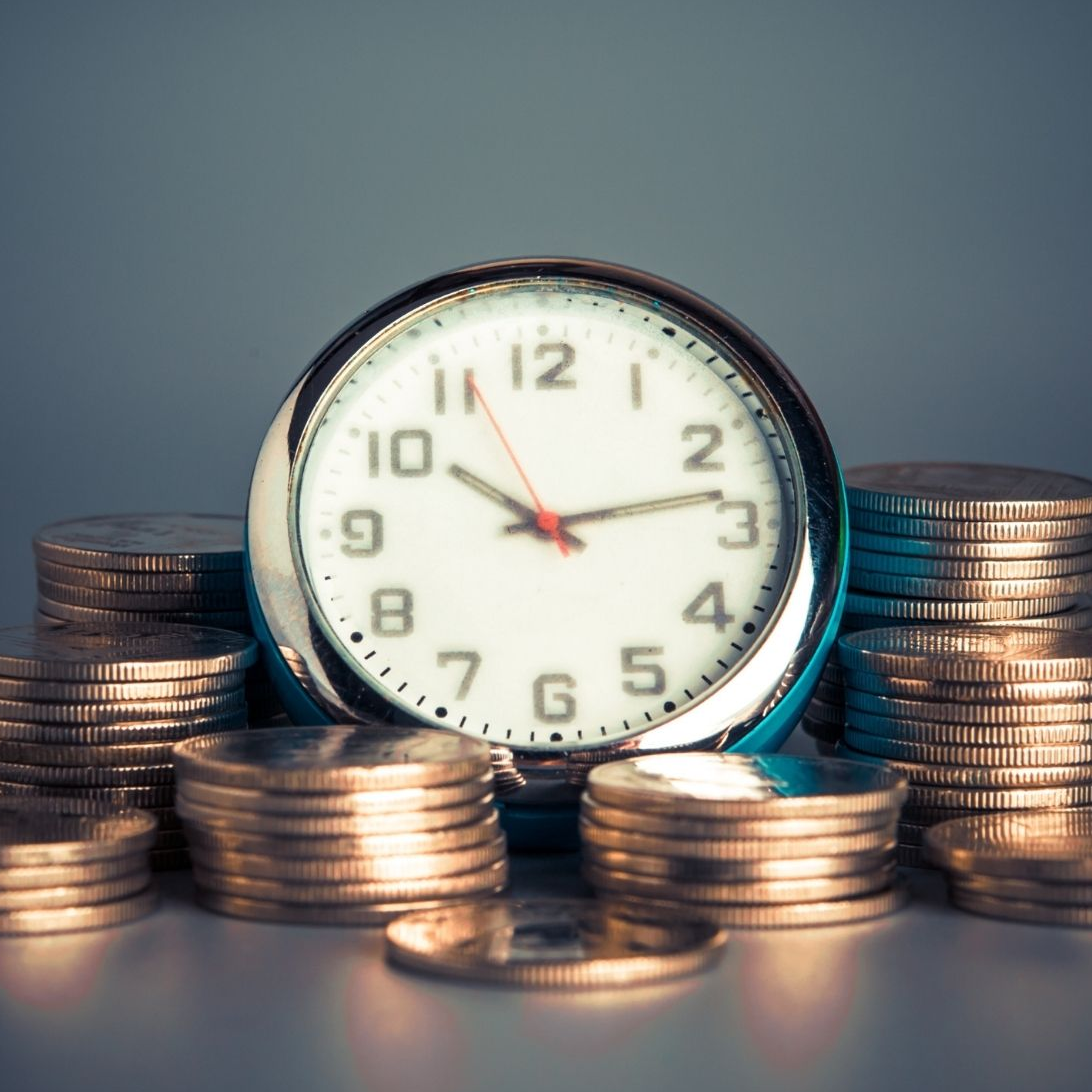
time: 10:13
